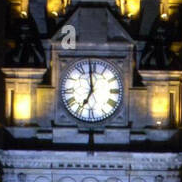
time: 6:58
